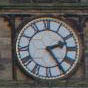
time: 2:24
